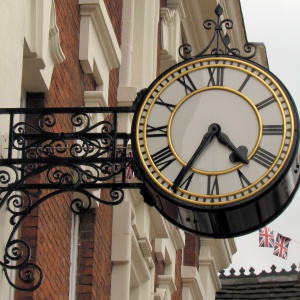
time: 4:35
